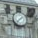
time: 1:37
